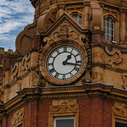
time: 1:17
